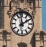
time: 1:59
